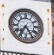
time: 7:24
